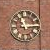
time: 11:13
